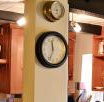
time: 11:33
